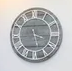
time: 3:27
